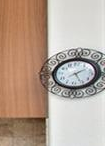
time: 5:09
